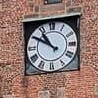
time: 10:50
